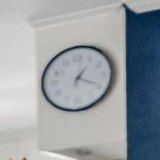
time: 1:19
